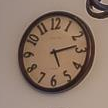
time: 5:13
